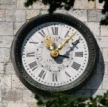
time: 11:07
